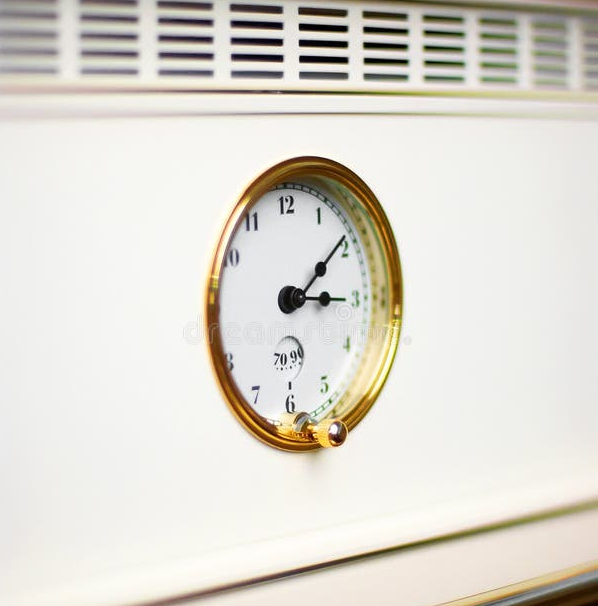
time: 3:08
